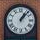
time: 1:07
